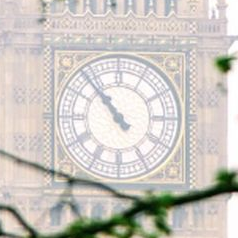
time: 10:53
